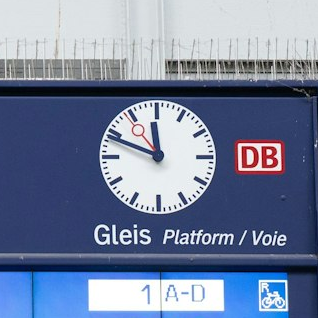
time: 11:48
